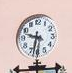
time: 9:32
